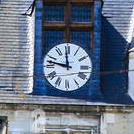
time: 11:46
